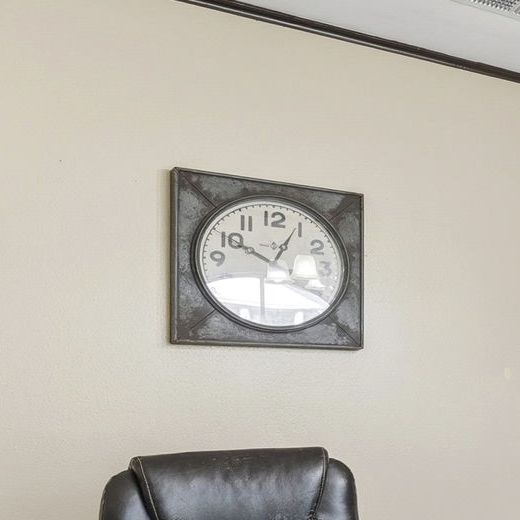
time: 12:49
